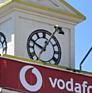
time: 12:49
